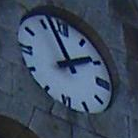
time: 1:56
